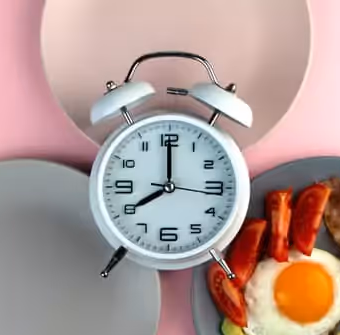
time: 8:00
